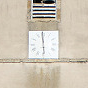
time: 5:59
